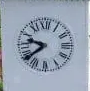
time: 9:38
